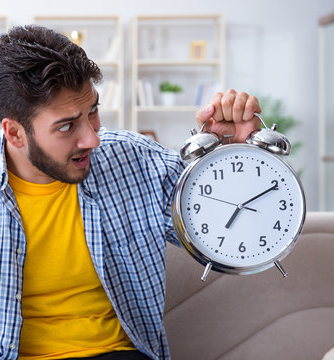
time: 7:10
